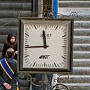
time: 11:44
